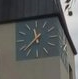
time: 11:37
